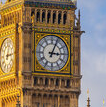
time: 3:04
